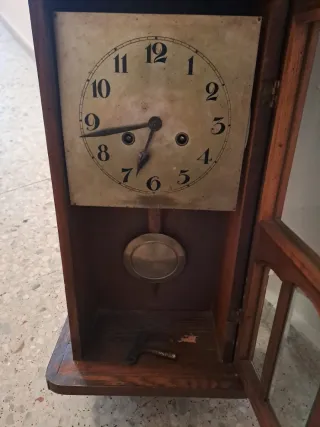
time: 6:43
